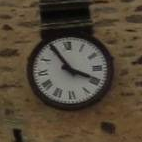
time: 3:54
